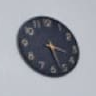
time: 3:27
